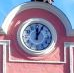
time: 12:04
